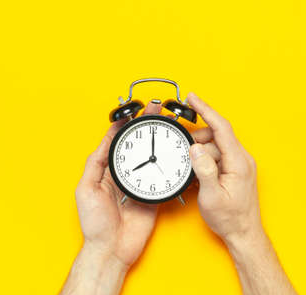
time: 8:00
